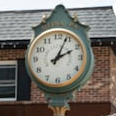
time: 2:04
